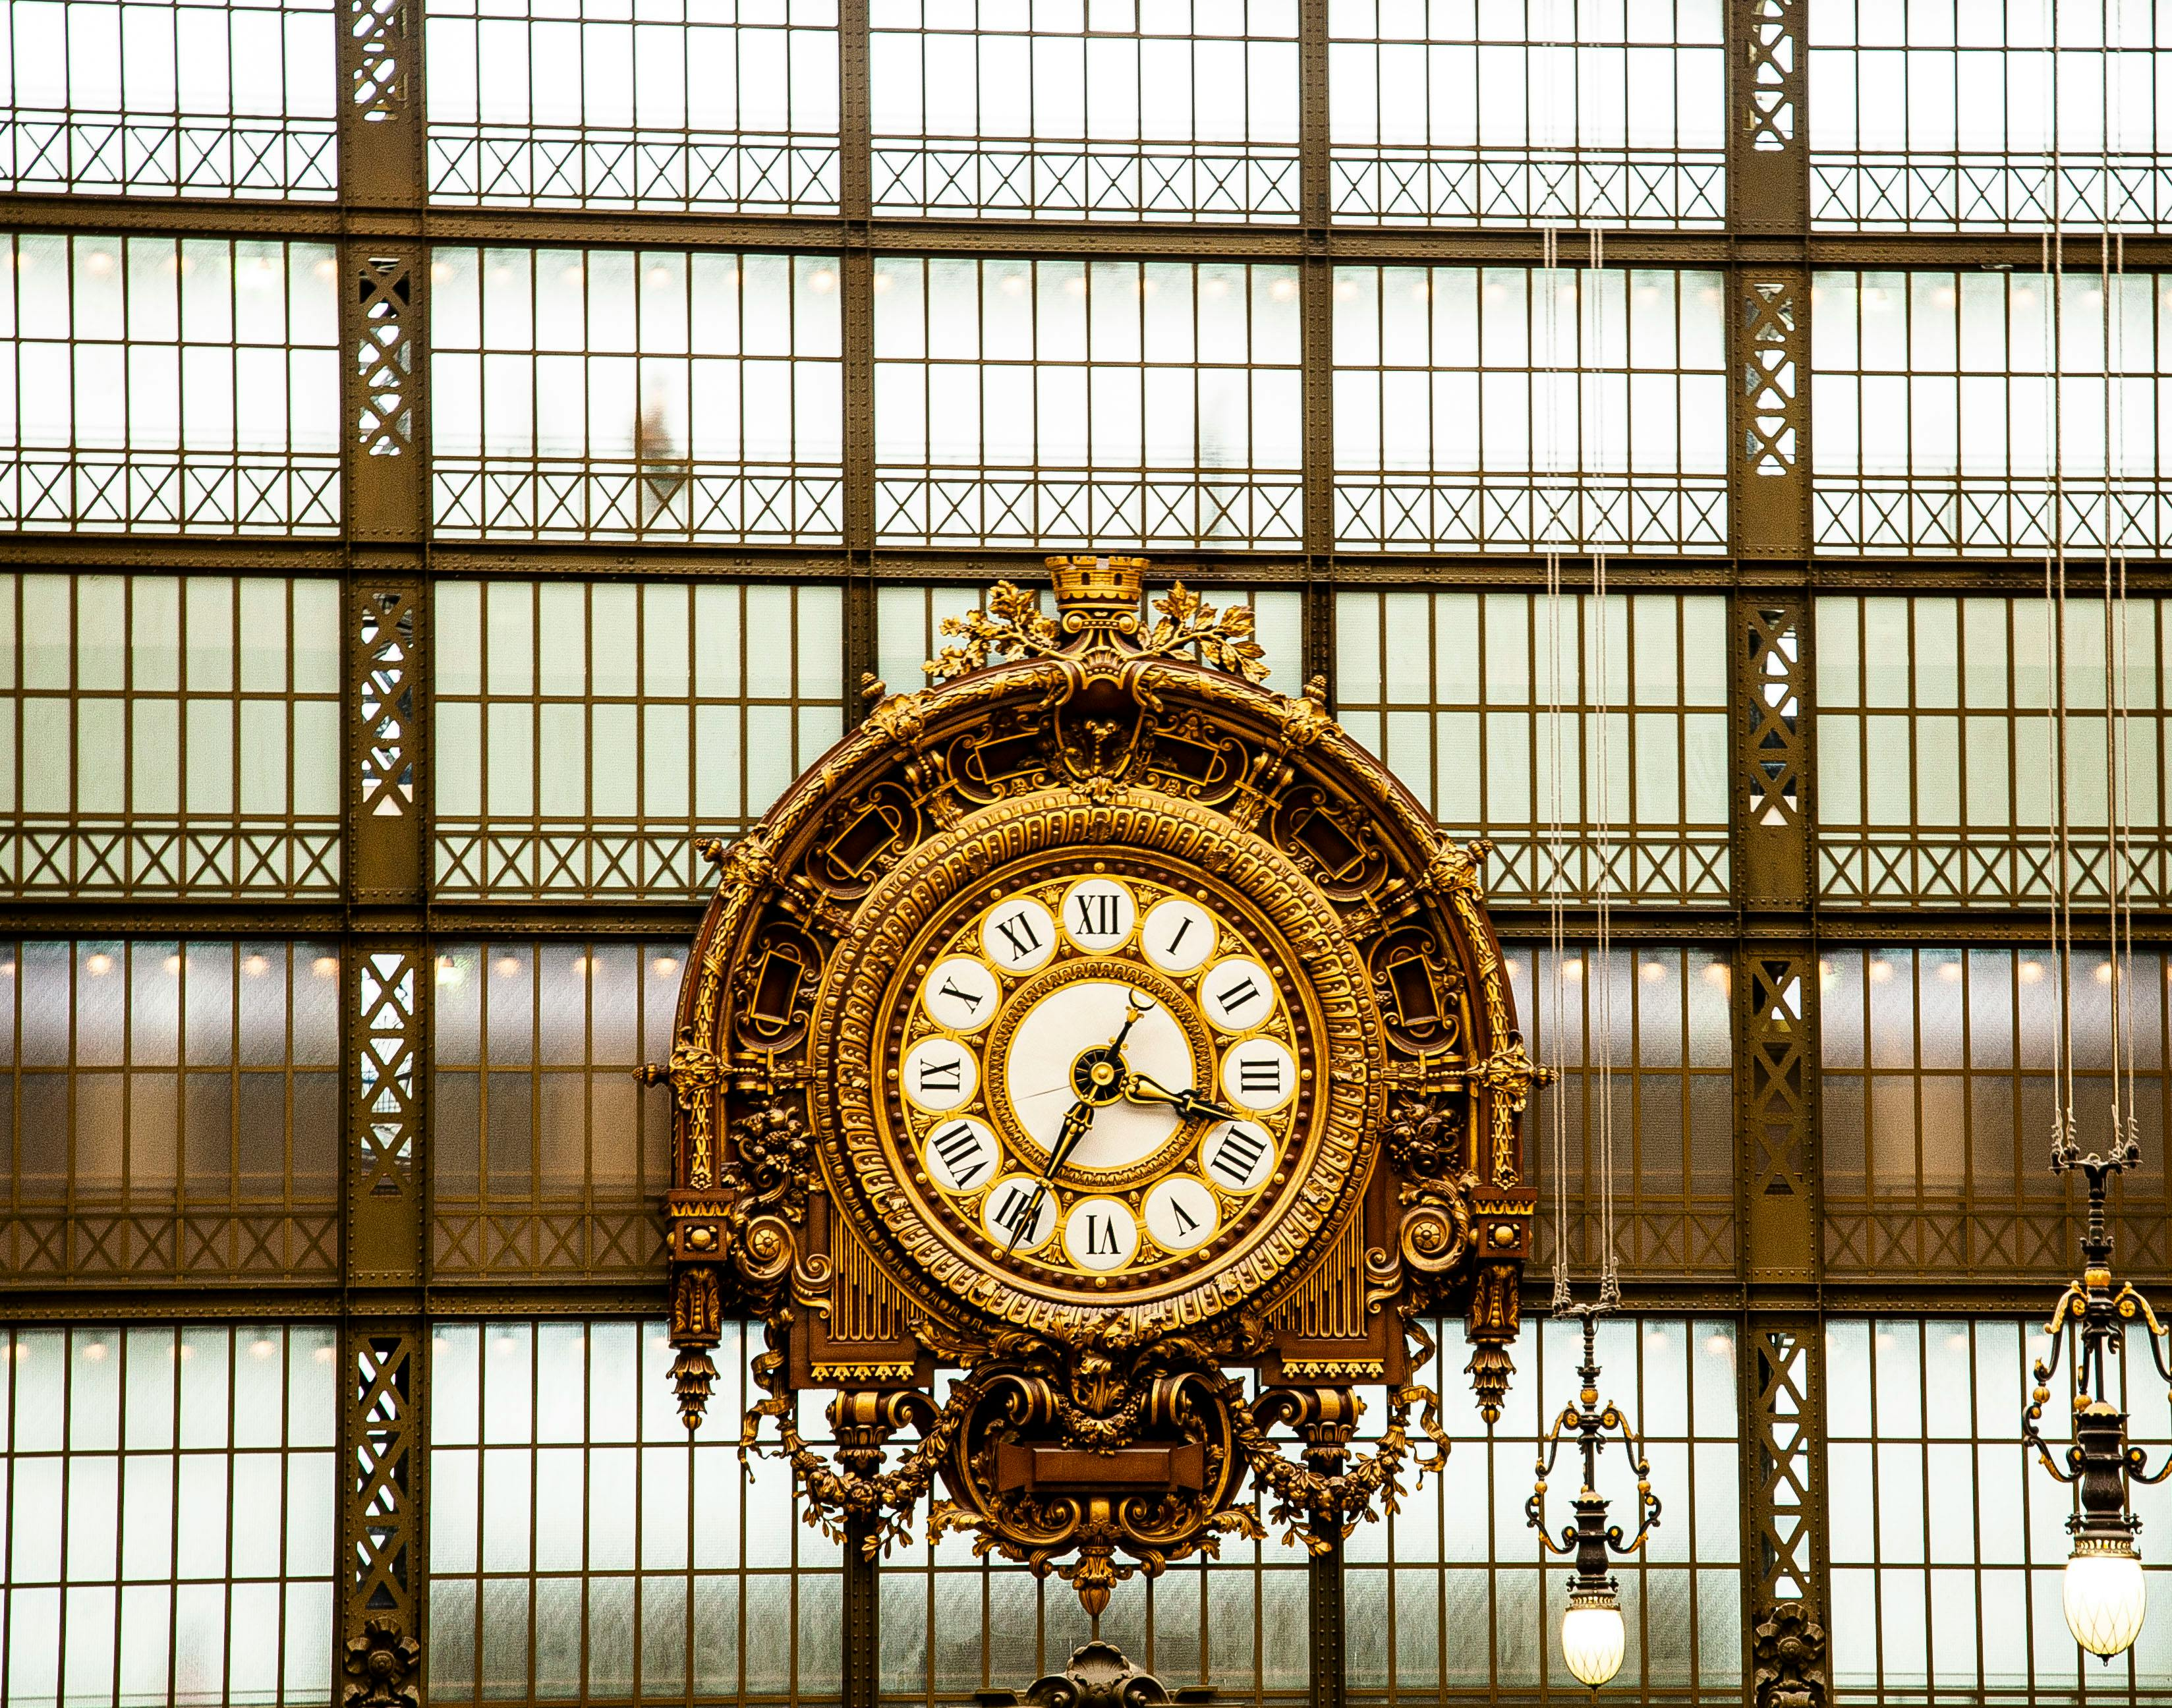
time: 3:34
